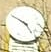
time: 4:50
